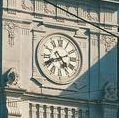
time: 4:41
